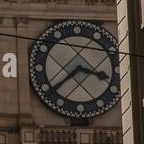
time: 3:38
